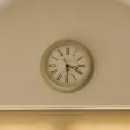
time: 3:29
